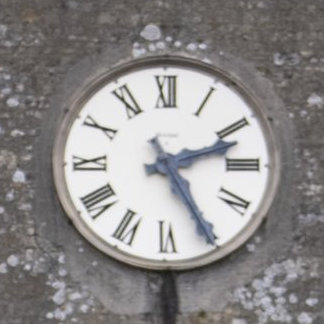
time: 2:25
